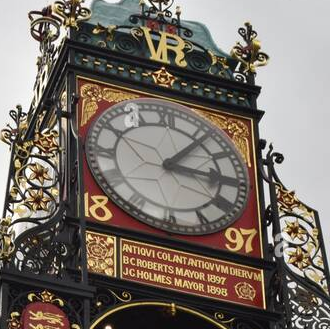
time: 3:06
